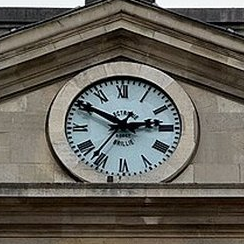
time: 2:50
